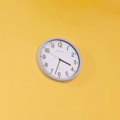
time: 3:32
